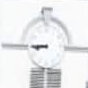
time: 8:45
